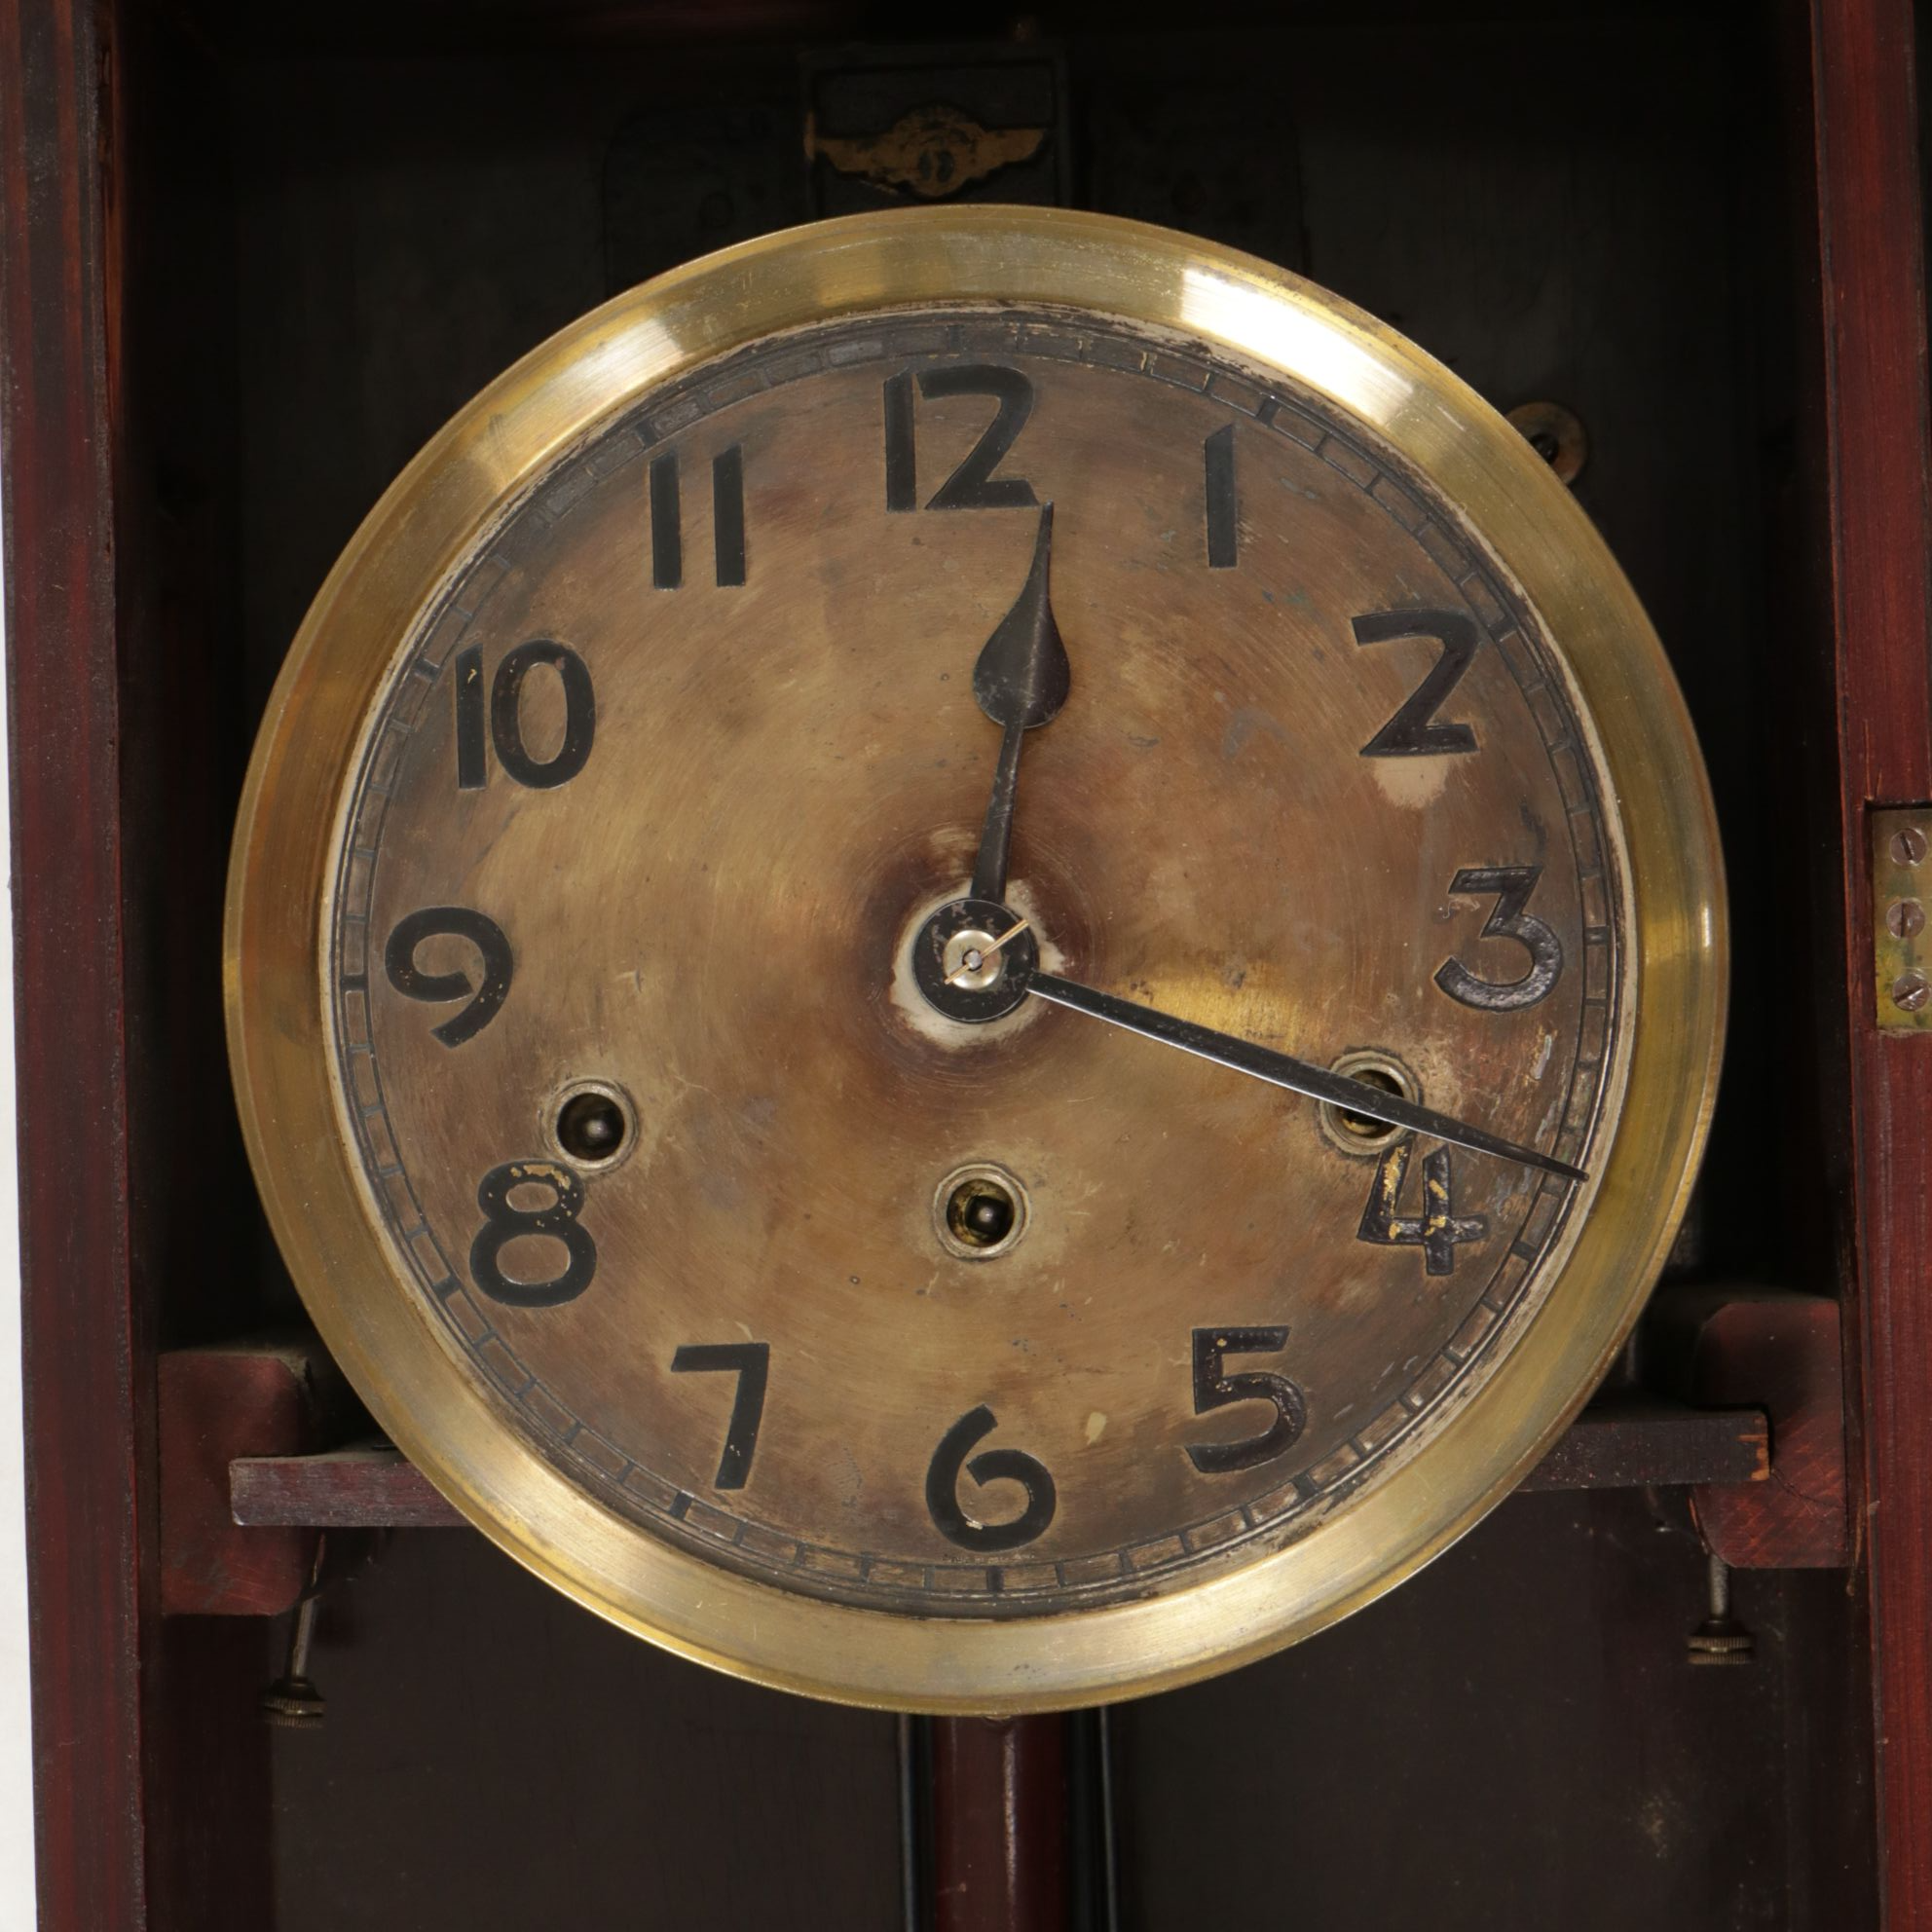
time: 12:18
